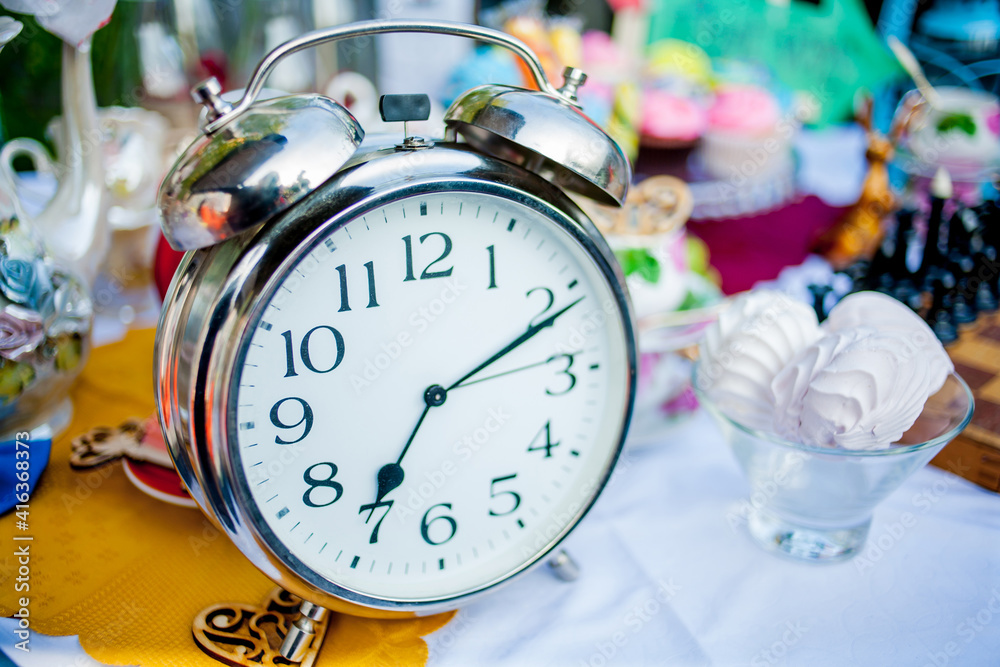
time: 7:10
